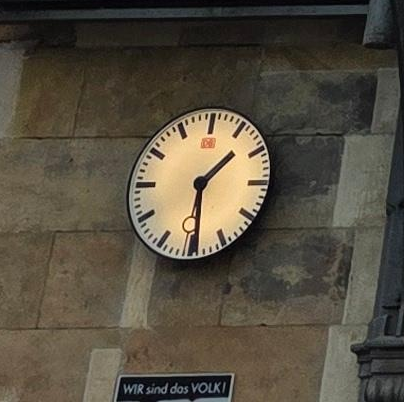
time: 1:29
